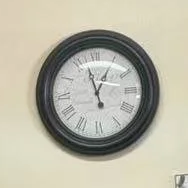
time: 12:57
